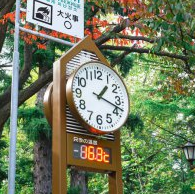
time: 1:18
